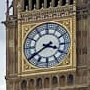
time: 3:39
